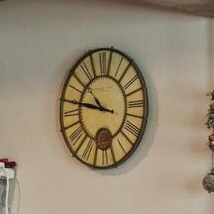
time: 10:47
